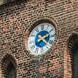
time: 2:21
